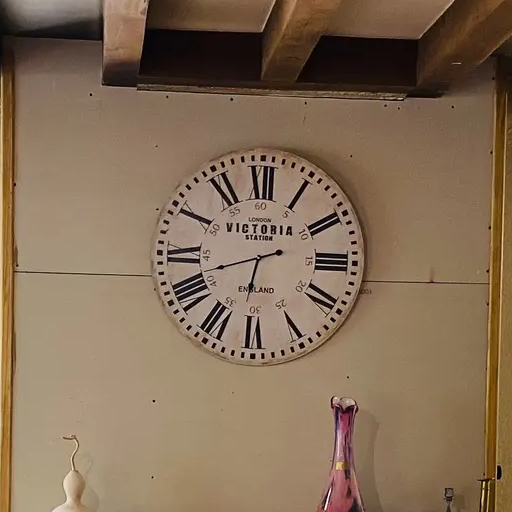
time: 6:41
